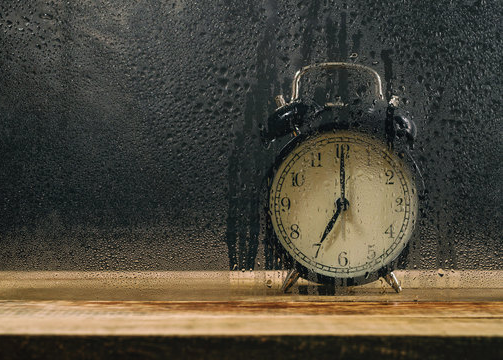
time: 7:00
